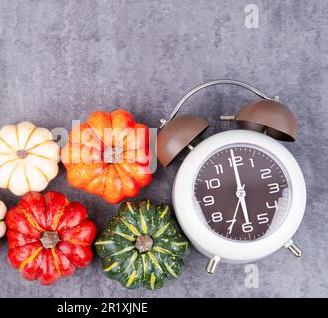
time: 5:59
